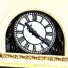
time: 10:21
